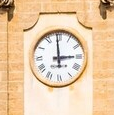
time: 2:59
